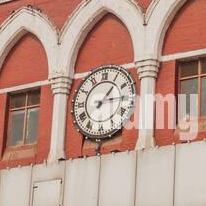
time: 1:14
